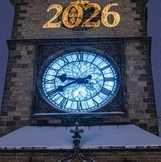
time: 9:40
